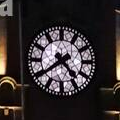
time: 4:39
